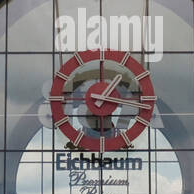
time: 1:16
